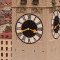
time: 3:40
